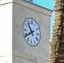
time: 10:39
